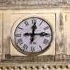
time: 12:14
